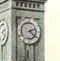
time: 2:21
